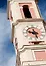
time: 9:27
